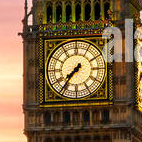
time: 7:36
